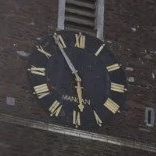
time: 5:54
